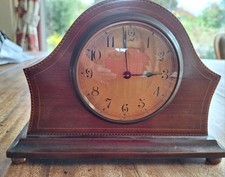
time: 2:58
